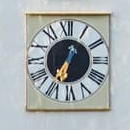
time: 6:35
